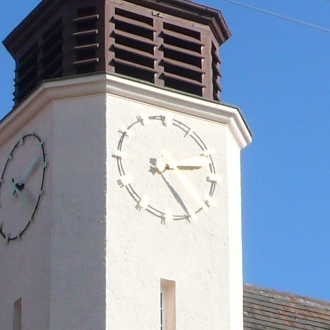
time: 2:24
